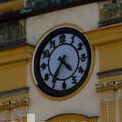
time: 4:35
